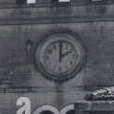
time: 2:00
